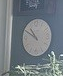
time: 10:50
